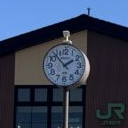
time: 1:53
